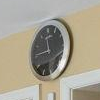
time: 11:45
